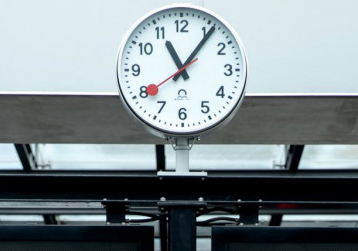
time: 11:06
